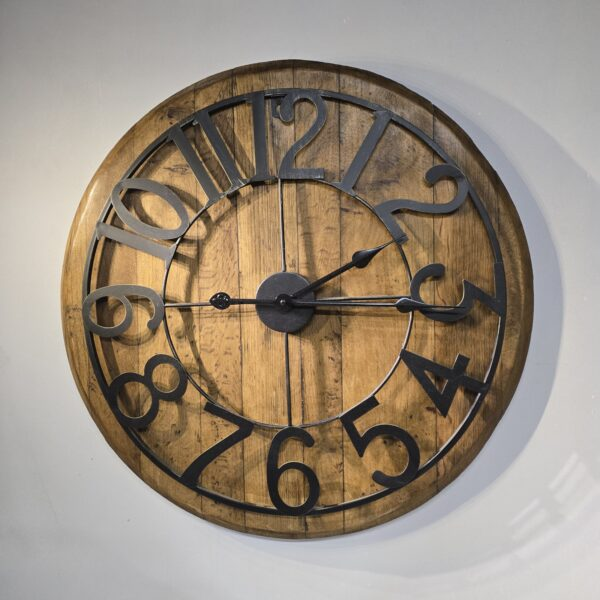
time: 2:15
